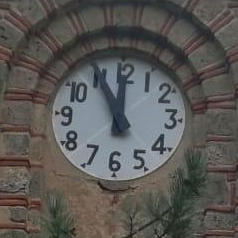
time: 11:55
